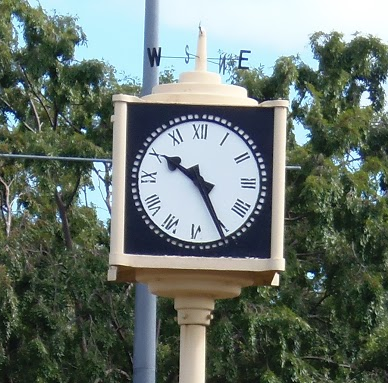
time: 10:25
